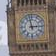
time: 2:58
